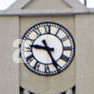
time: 9:25
